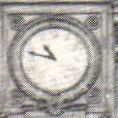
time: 10:47
